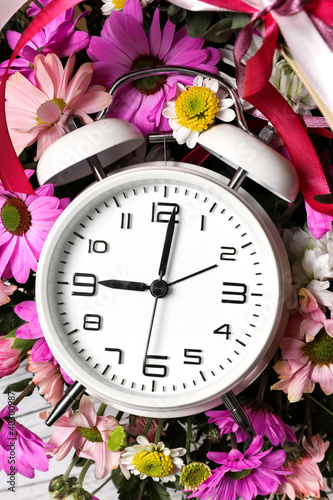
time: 9:01
